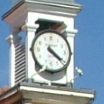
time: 4:20
